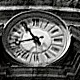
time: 10:42
